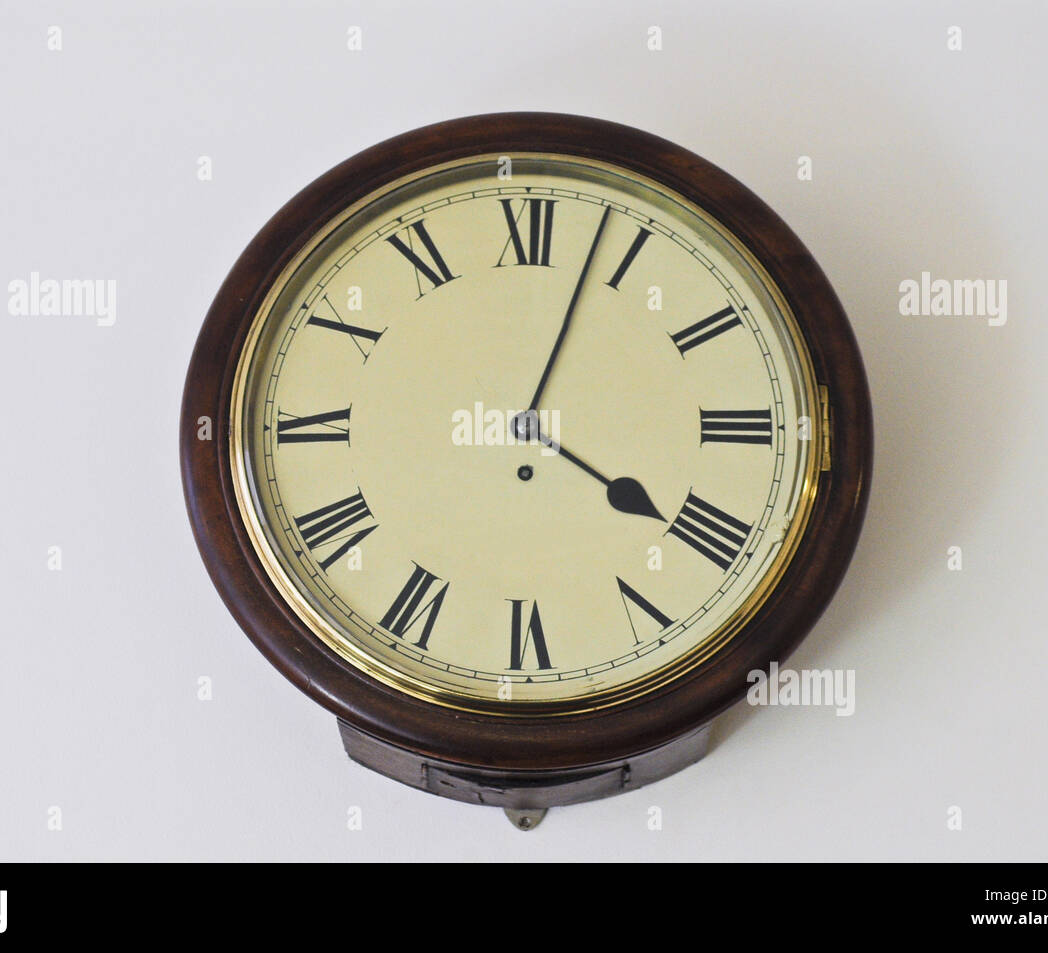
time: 4:03
